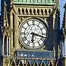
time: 6:17
